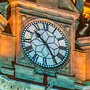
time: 10:24
